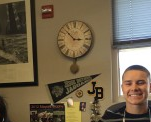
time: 2:52
